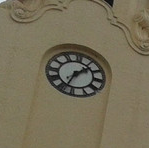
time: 1:33
